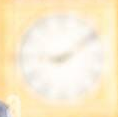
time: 9:09
